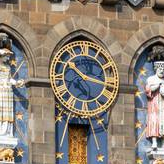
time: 10:17
